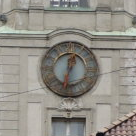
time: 12:32
